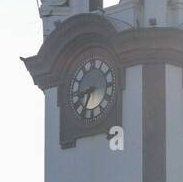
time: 8:34
